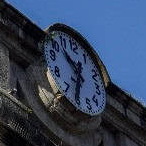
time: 10:33
